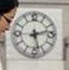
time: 2:27
